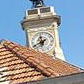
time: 11:40
